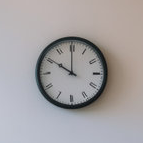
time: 9:59
